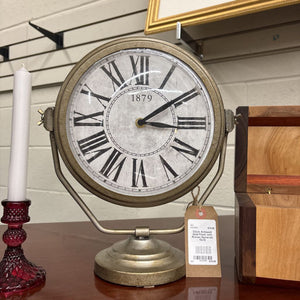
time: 3:09
